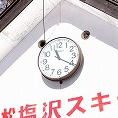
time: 11:20
